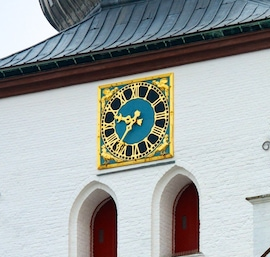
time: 9:36
